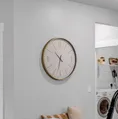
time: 10:32
